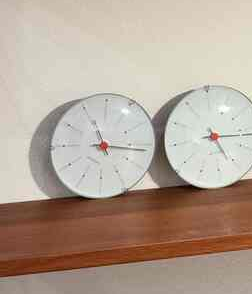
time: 11:16
